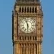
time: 5:57
